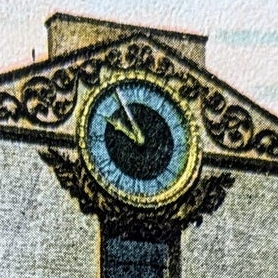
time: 9:54
